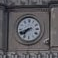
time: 7:41
